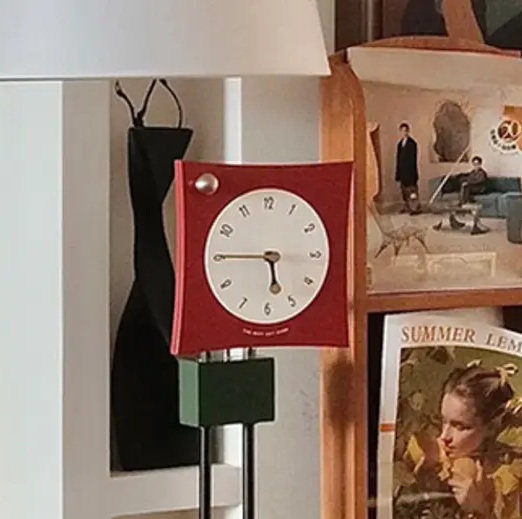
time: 5:45
